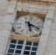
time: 5:18
